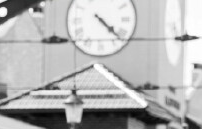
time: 4:22
